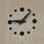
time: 9:07
